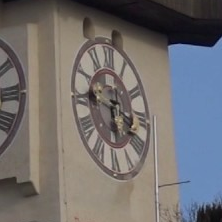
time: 5:45
